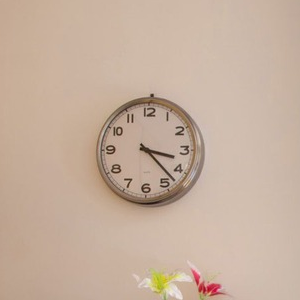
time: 3:22
